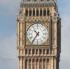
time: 10:36
